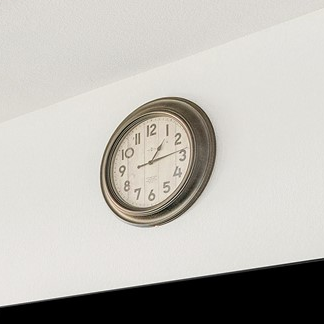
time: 1:13
